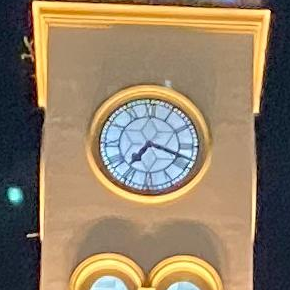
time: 7:18
